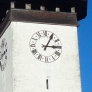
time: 3:04
